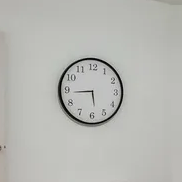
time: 5:44
